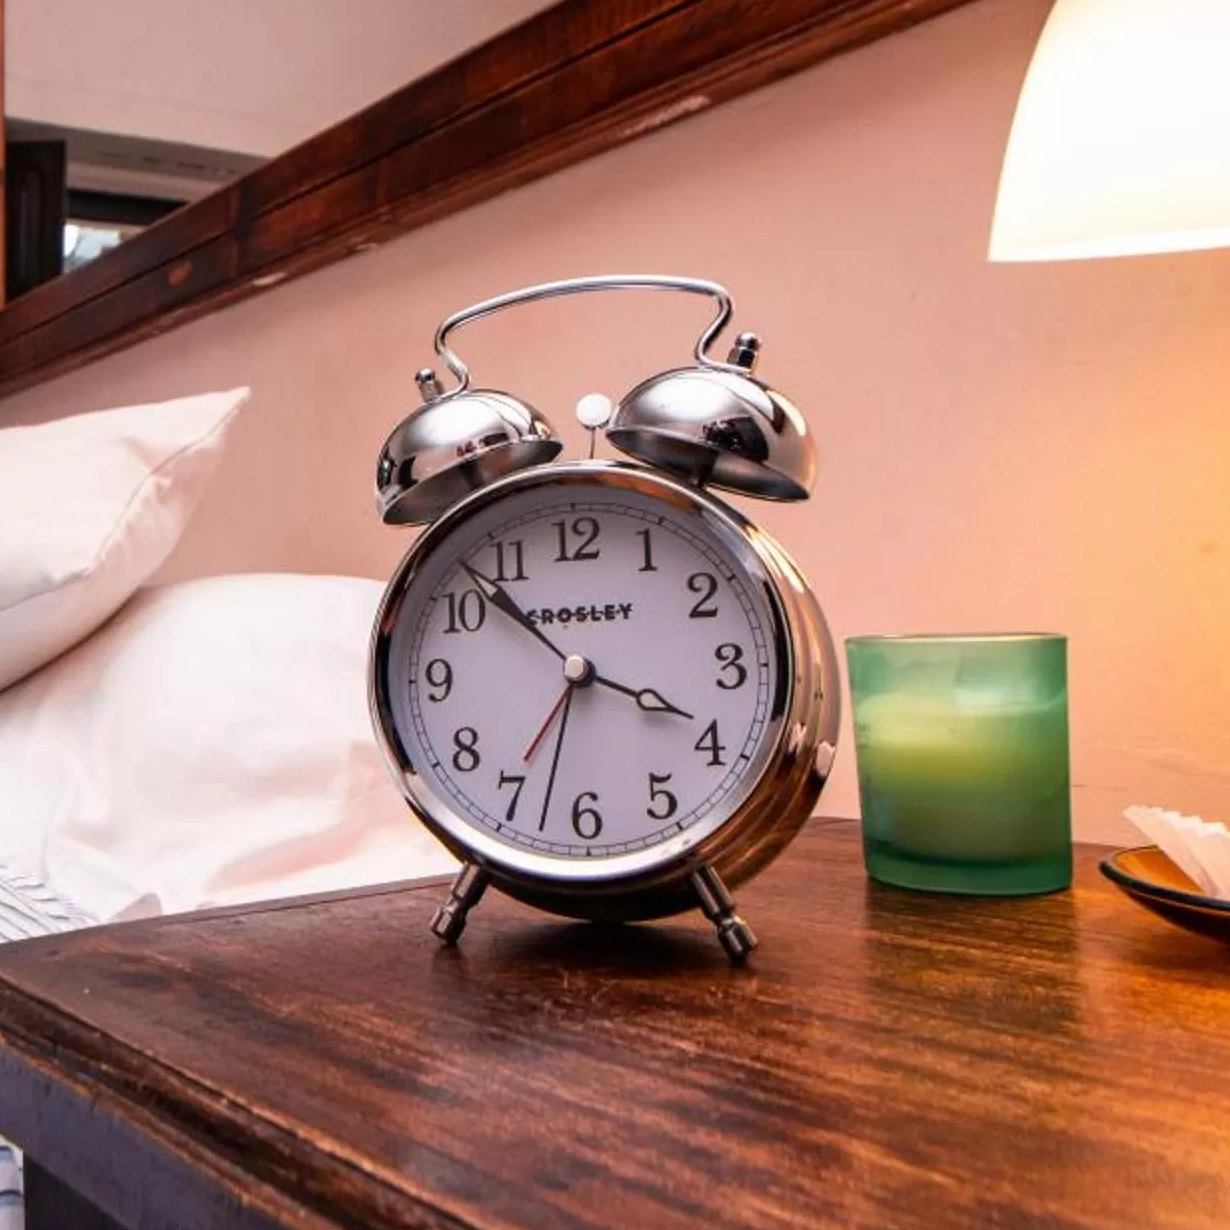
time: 3:52
